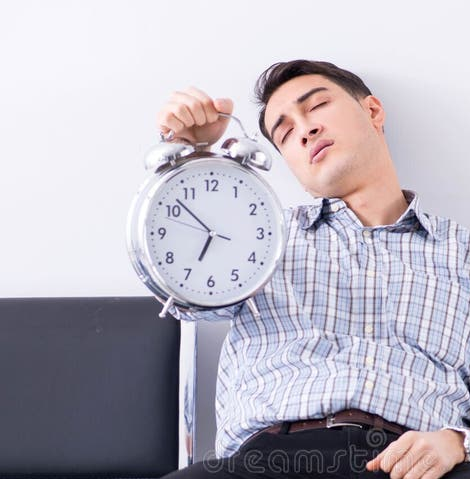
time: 6:52
